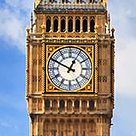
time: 12:49
